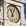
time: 11:03
